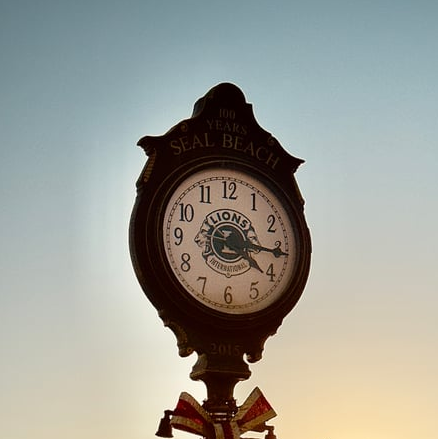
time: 4:15
